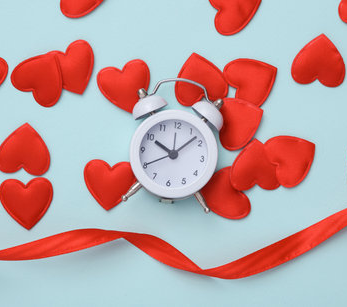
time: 10:07
